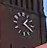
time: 1:20
